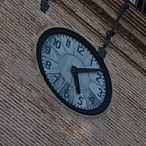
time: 6:12
